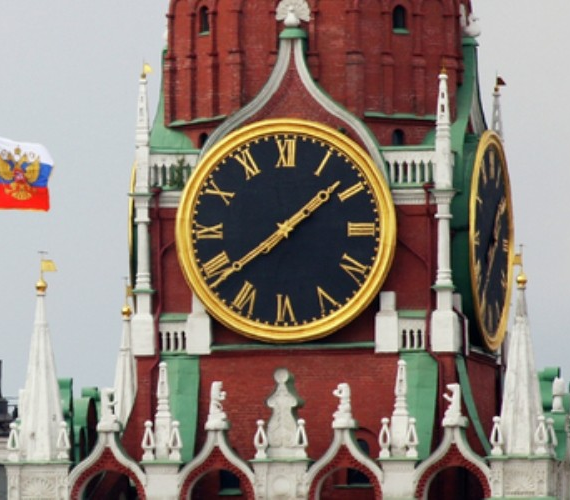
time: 1:38
